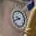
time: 9:41
